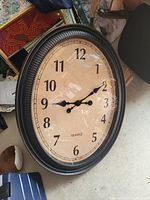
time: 9:10
